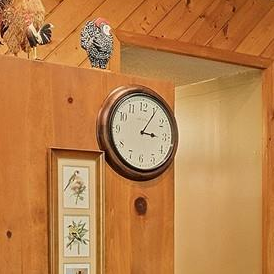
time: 3:05
